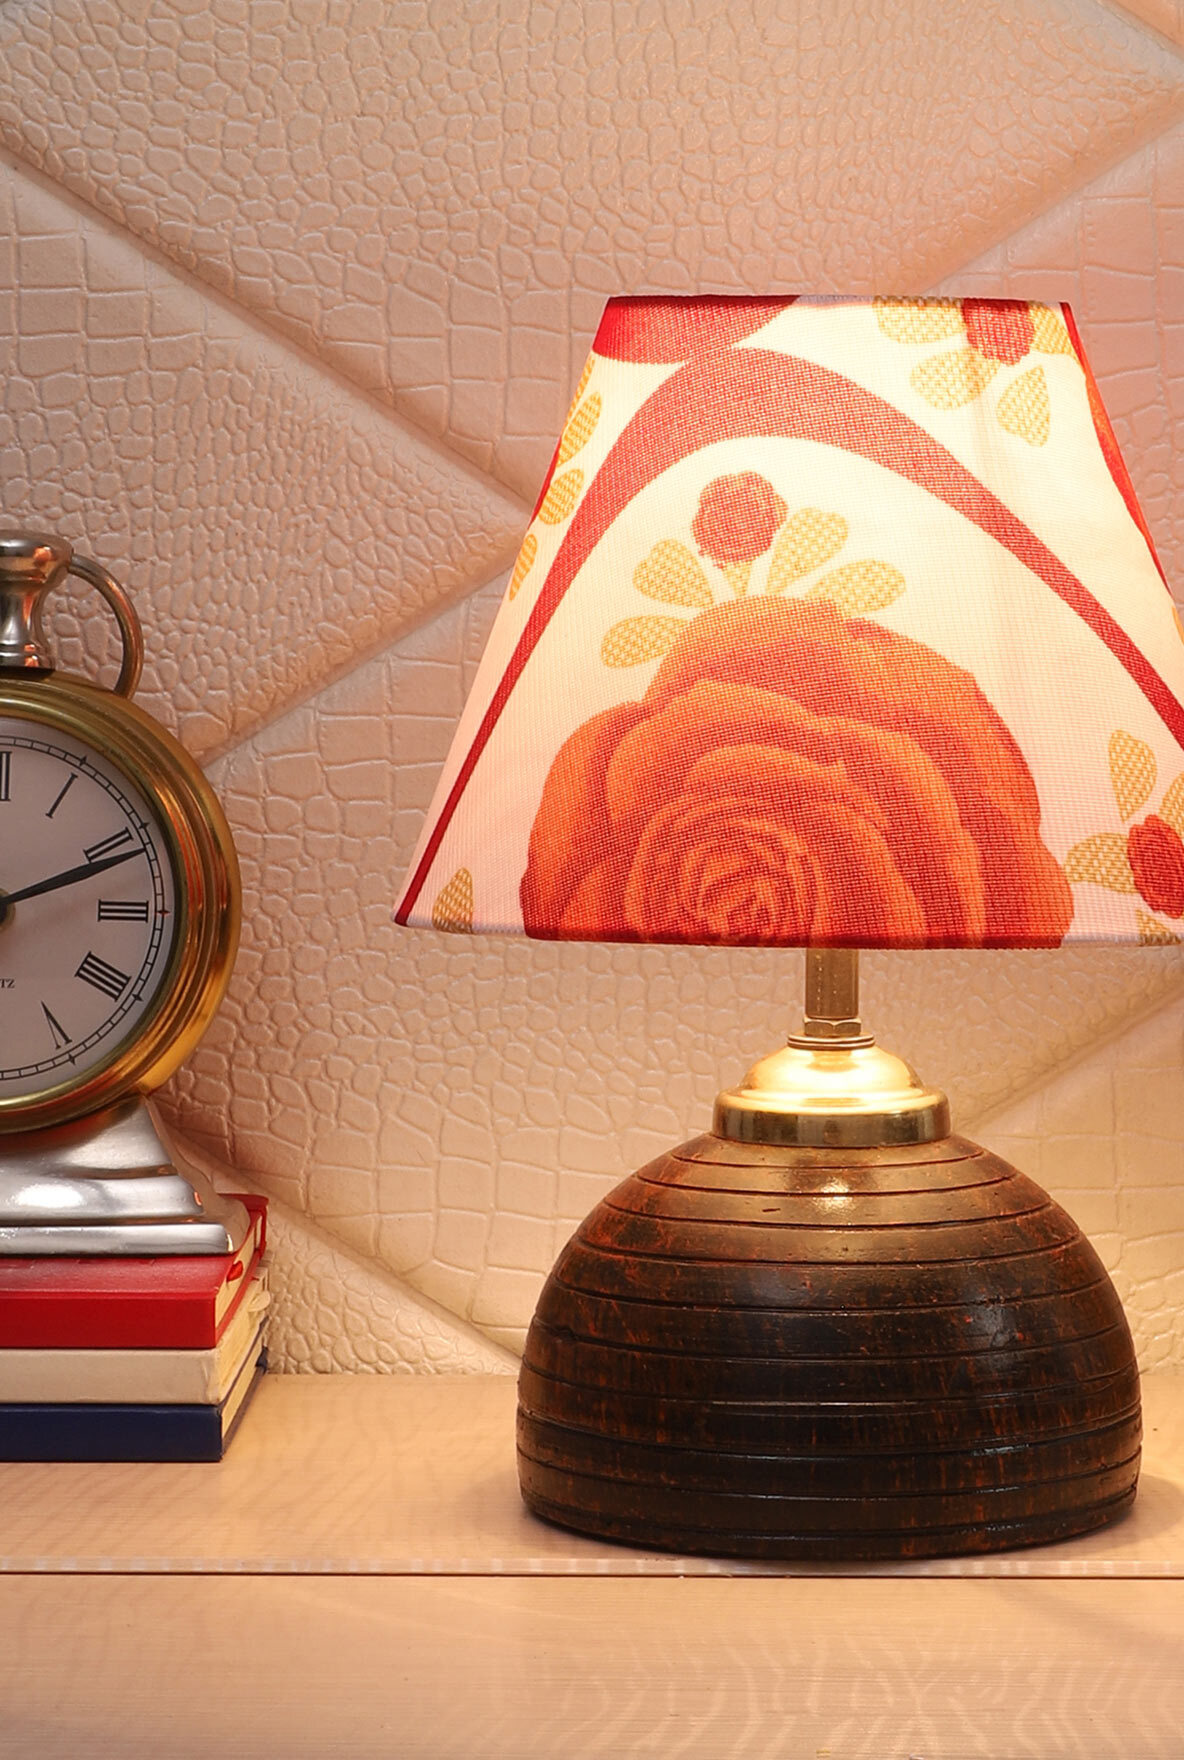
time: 2:11
